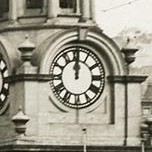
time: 12:00
